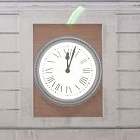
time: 12:03
